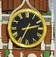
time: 2:34
